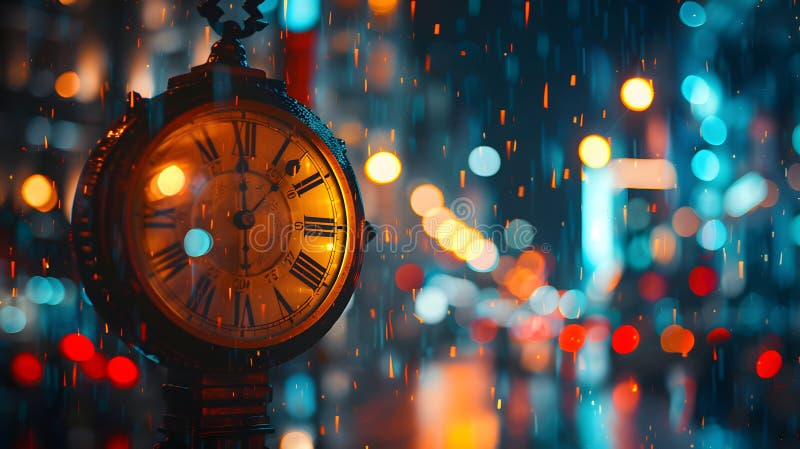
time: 12:07
